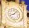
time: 8:07
